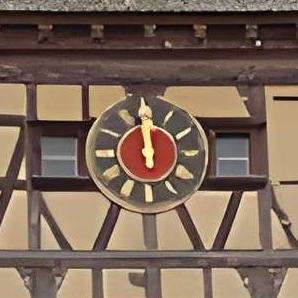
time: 11:59
